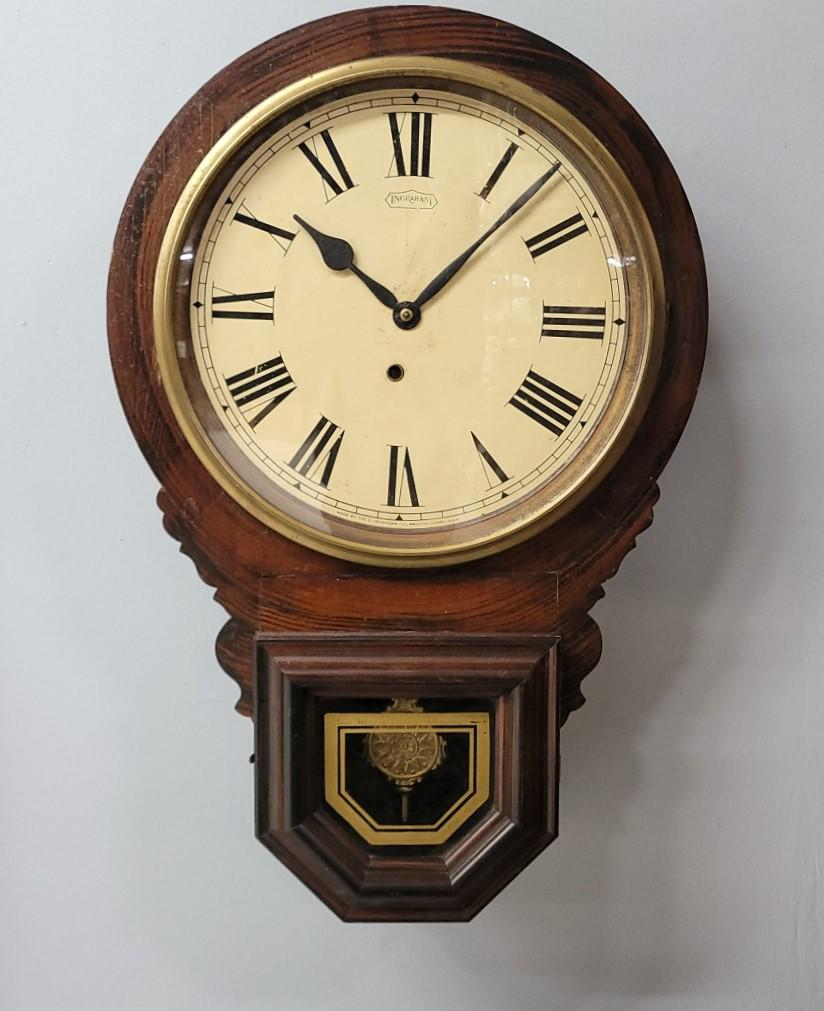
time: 10:07
